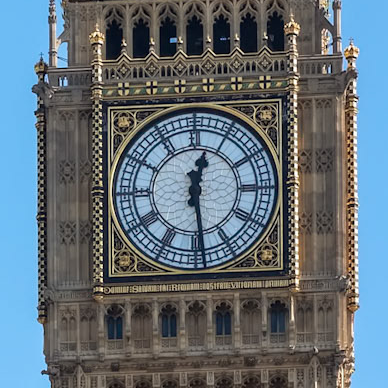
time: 12:28
